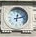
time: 12:12
